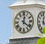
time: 12:21
